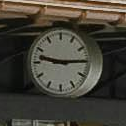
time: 9:14
